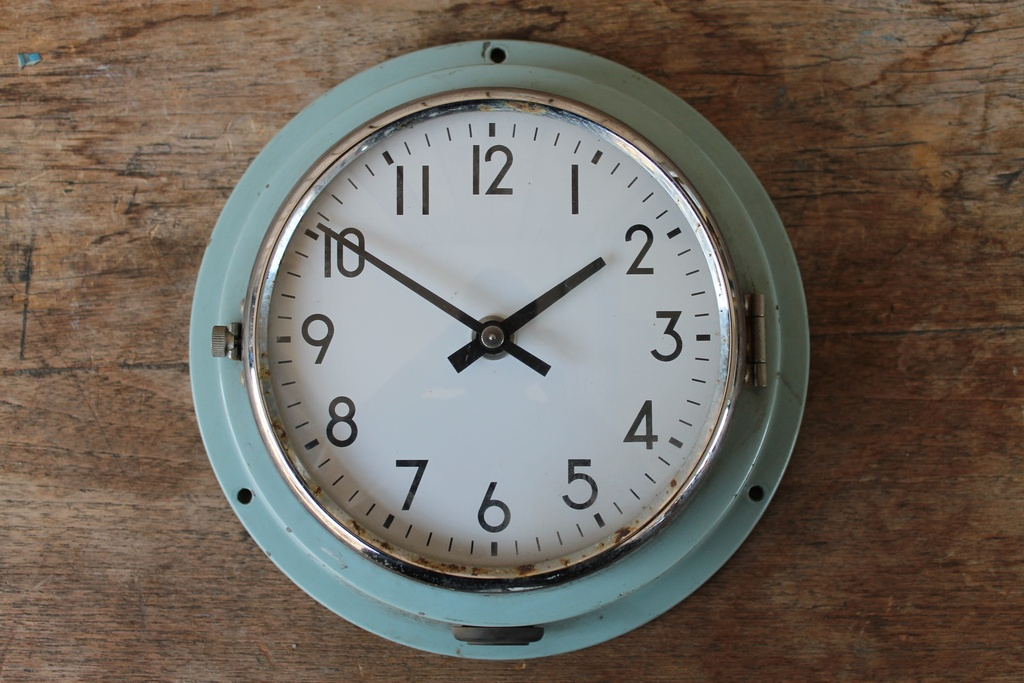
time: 1:50
